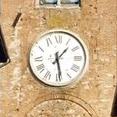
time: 1:28
